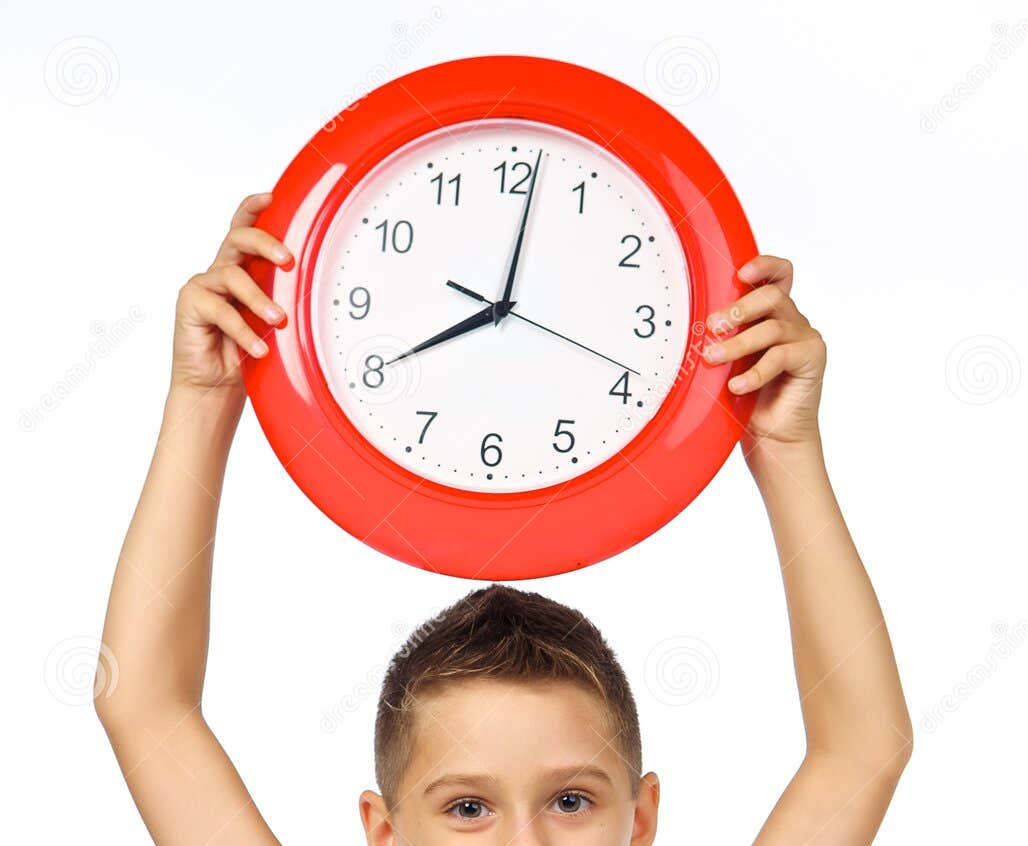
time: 8:01
